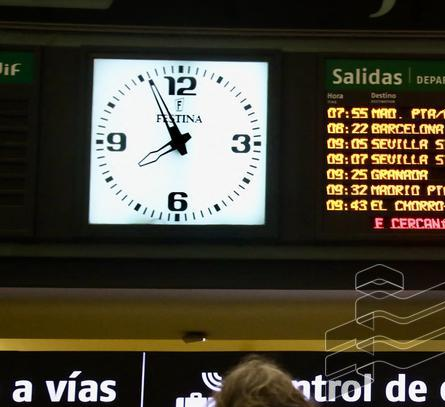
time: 7:55
